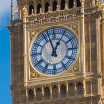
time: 12:57
